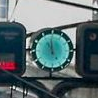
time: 10:59
